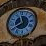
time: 11:40
